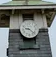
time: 9:22
